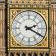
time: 2:19
